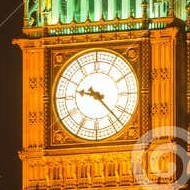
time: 9:22
